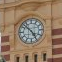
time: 4:52
